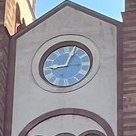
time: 9:03
